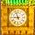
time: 8:57
